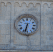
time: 6:32
